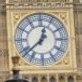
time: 12:38
